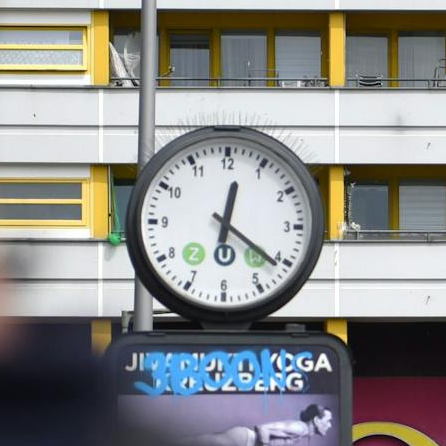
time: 12:21
